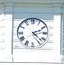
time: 2:22
